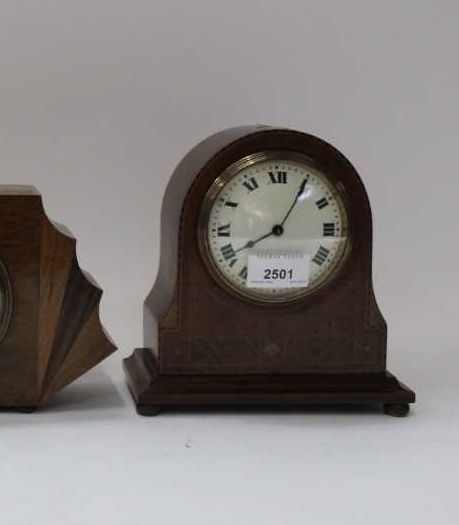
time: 8:05
